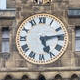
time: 5:13
